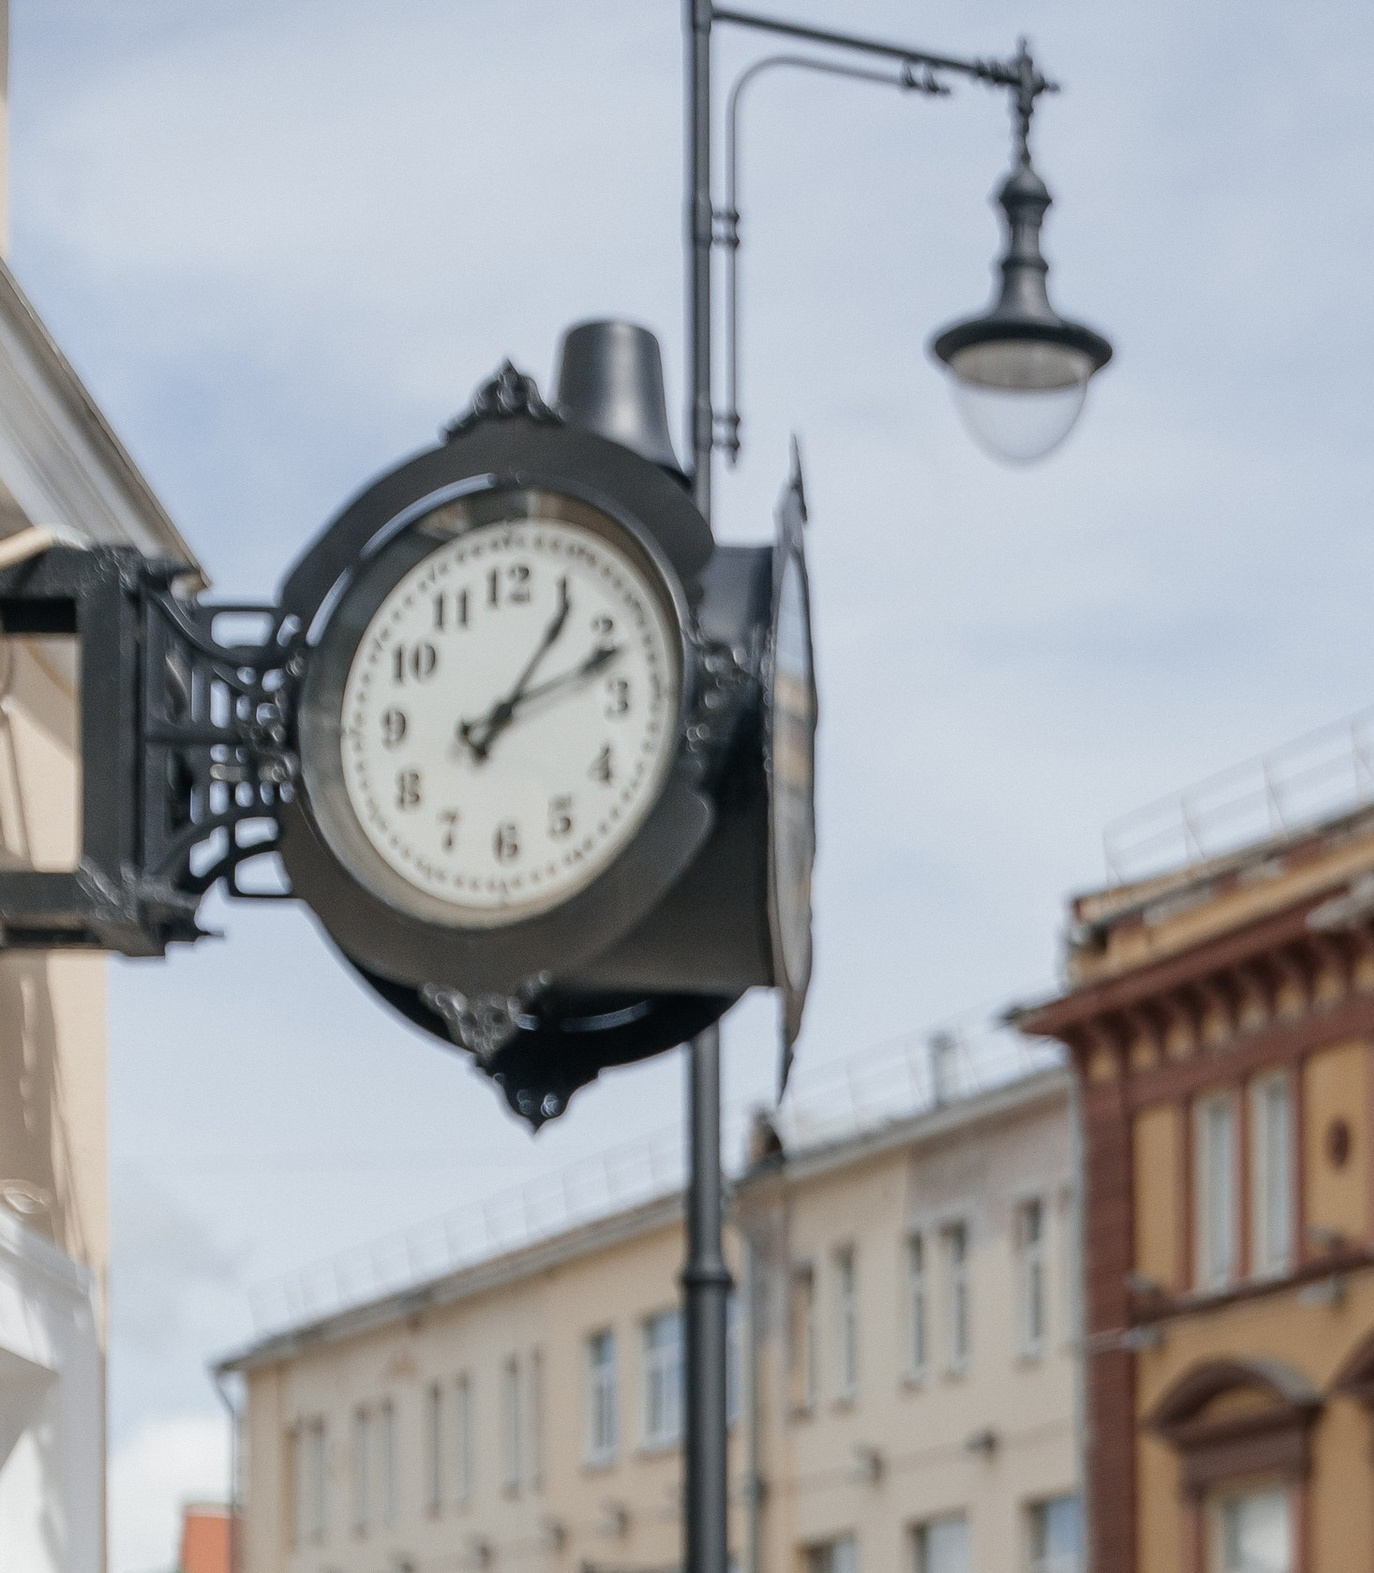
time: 1:11
